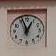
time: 12:56
